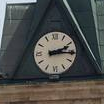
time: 2:15
